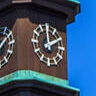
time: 1:59
